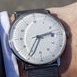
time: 2:35
